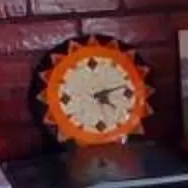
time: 4:12
